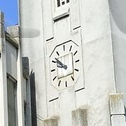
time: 9:52
